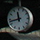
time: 11:42
